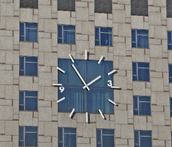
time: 1:53
